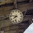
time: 7:46
